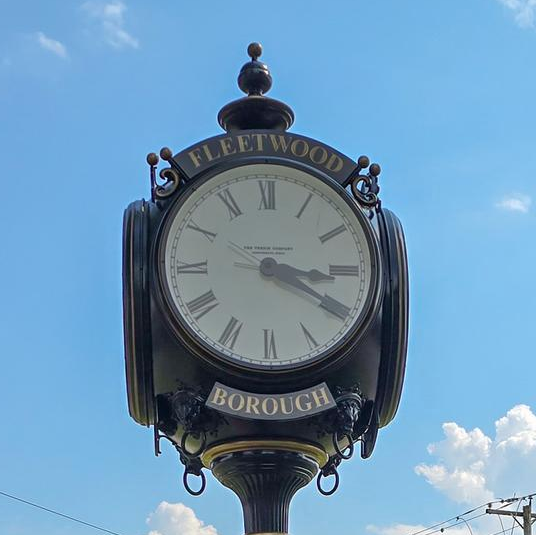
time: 3:19
